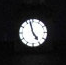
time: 4:57
